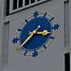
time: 3:39
